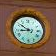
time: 8:51
